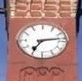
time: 7:13
